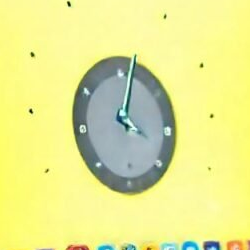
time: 4:02
